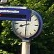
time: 8:30
